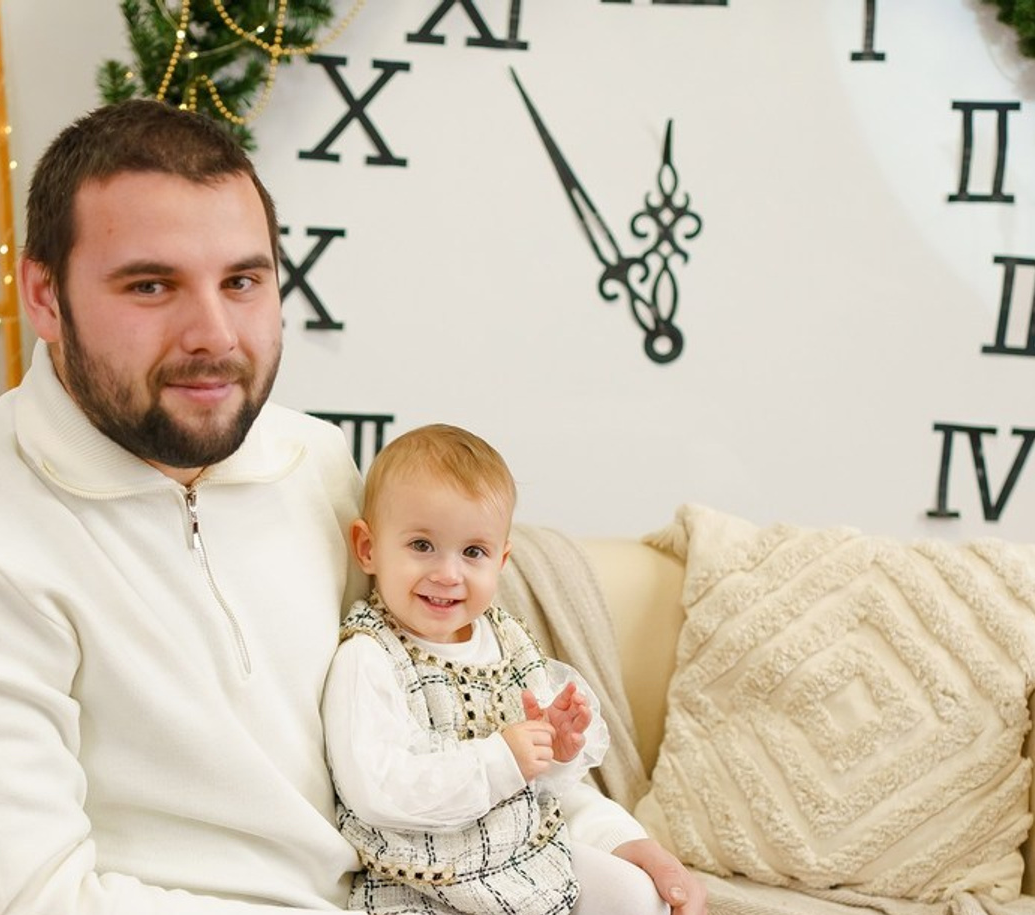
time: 11:54
